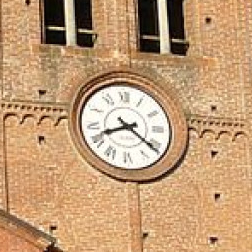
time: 8:21
